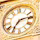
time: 7:13
